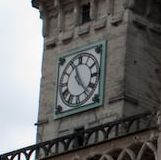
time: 11:23
